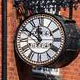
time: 11:50
